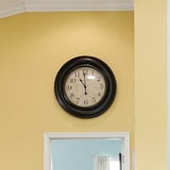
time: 10:59
